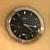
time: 4:16
